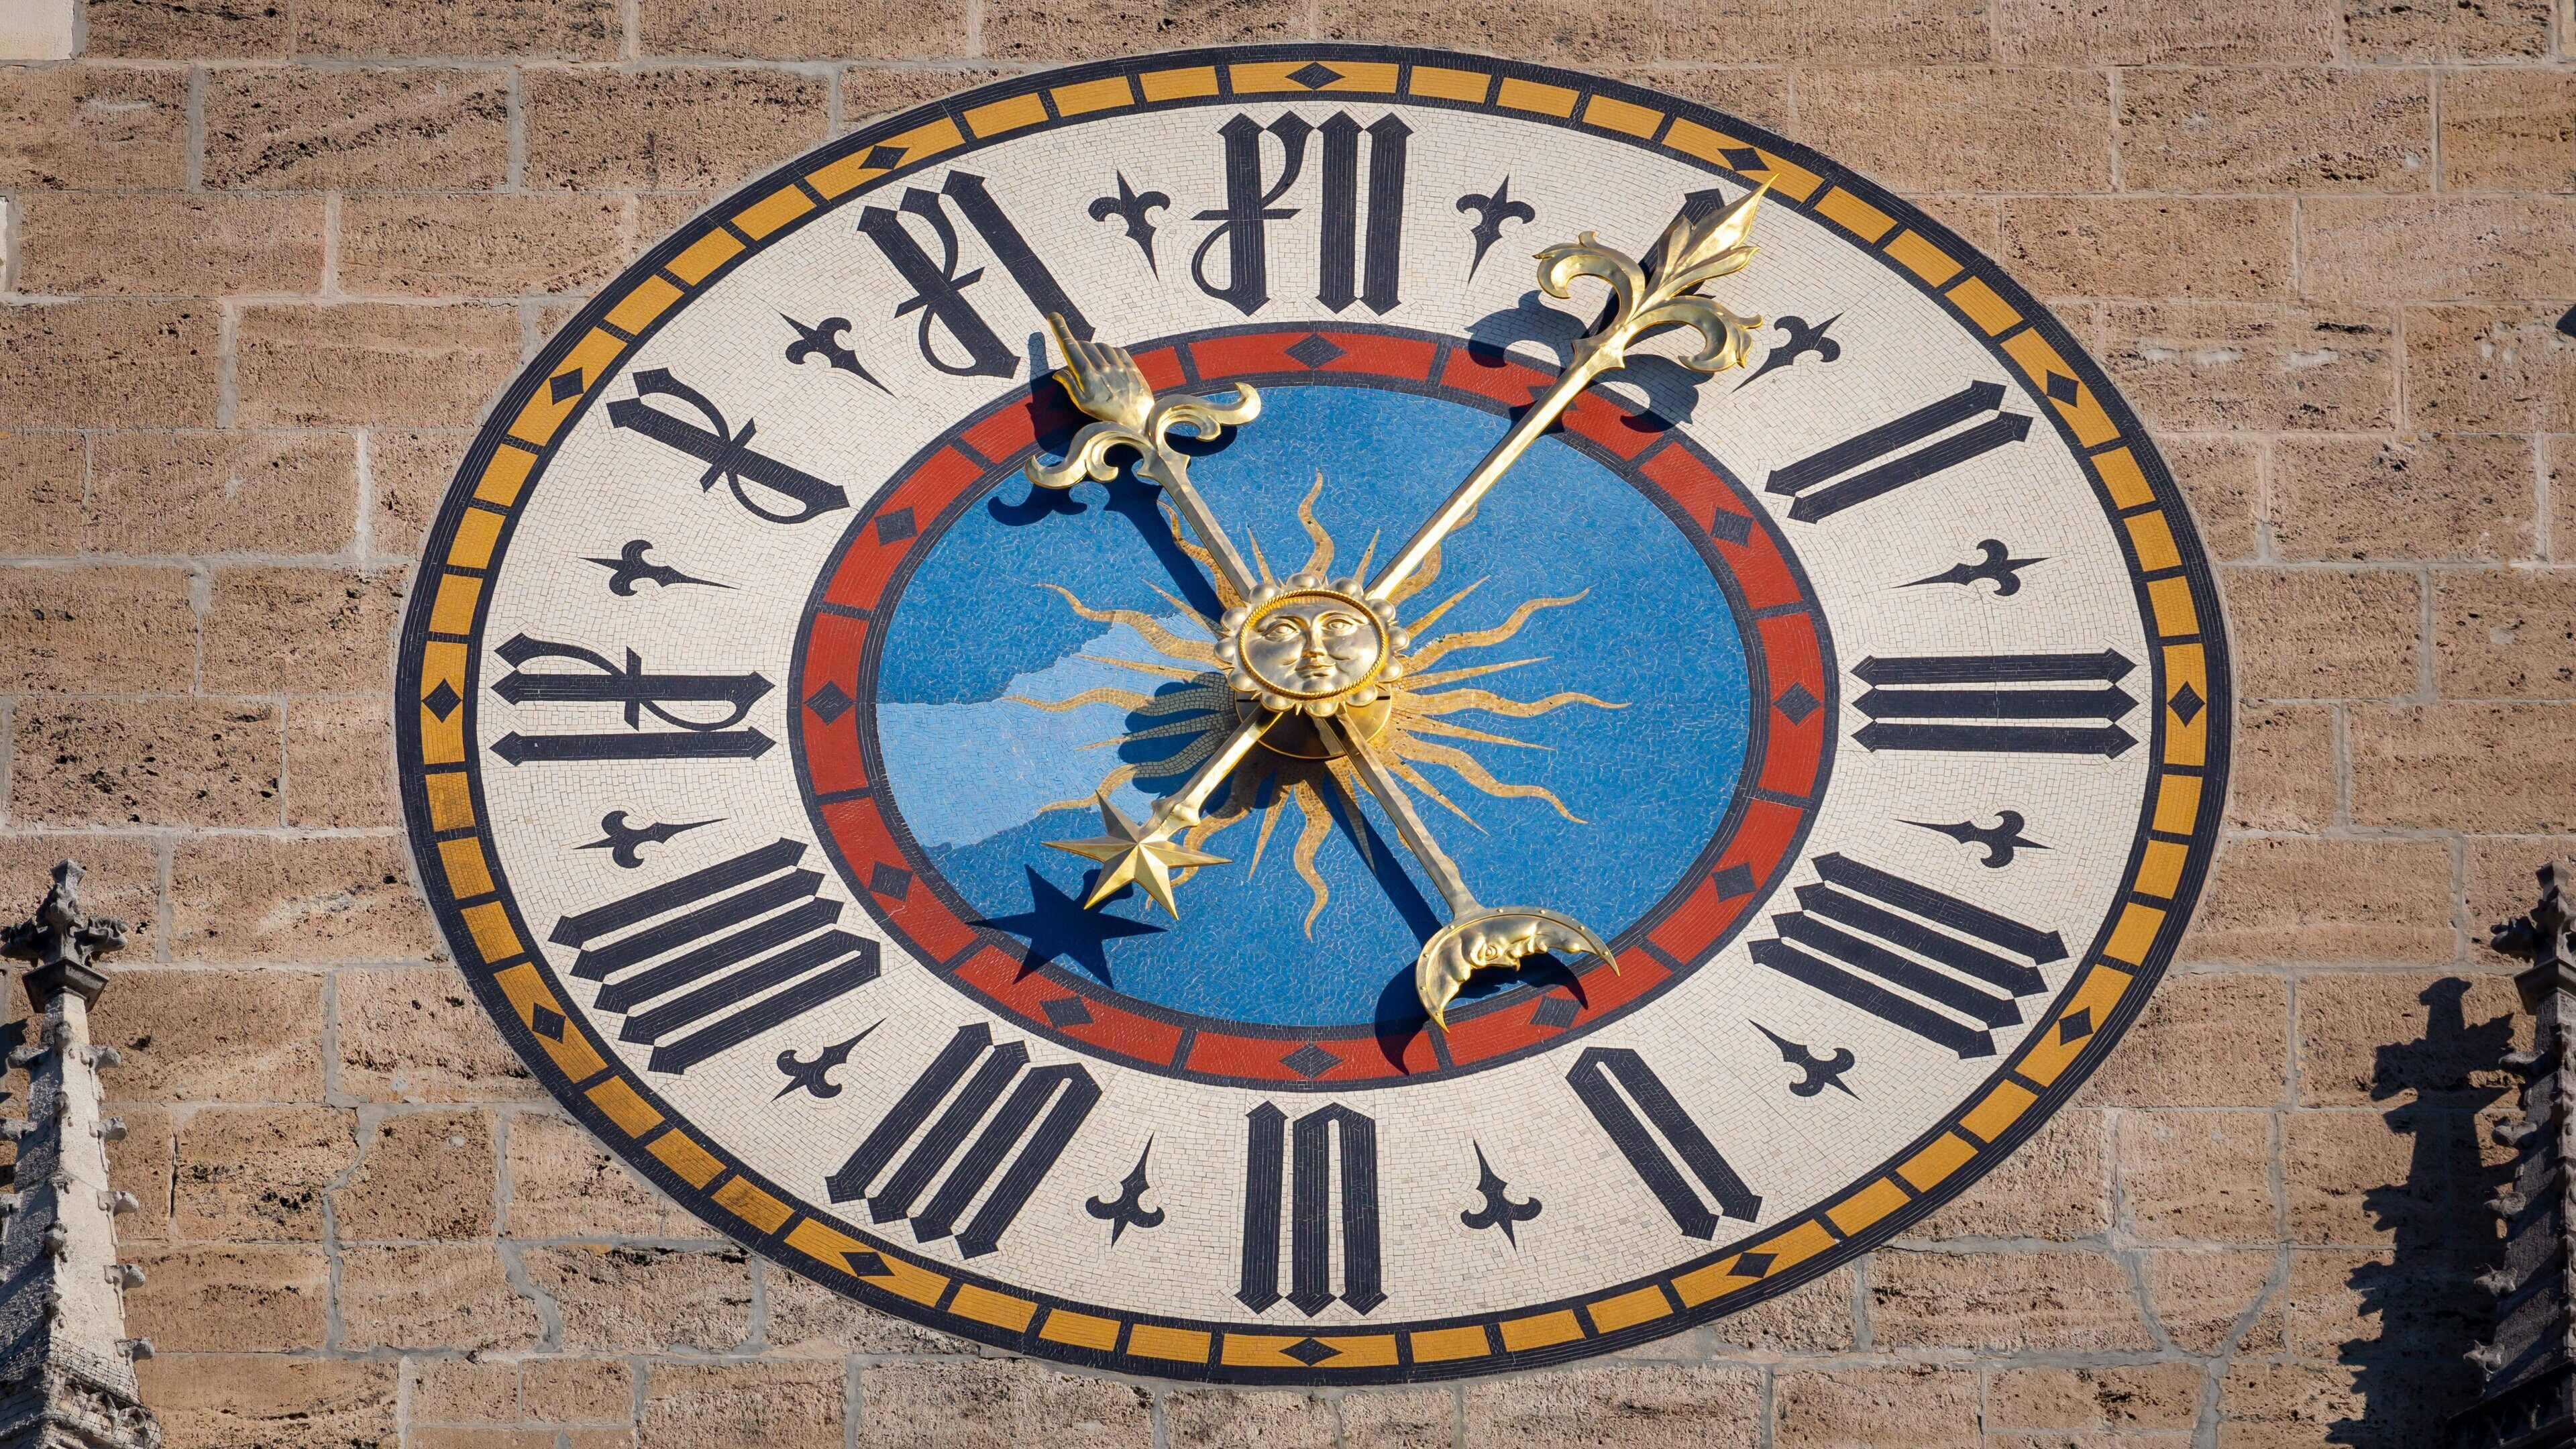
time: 7:25
